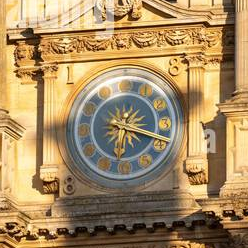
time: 6:18
